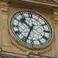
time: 10:34
